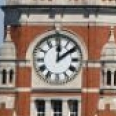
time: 12:09
